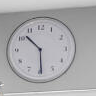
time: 10:29
